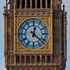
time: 12:22
